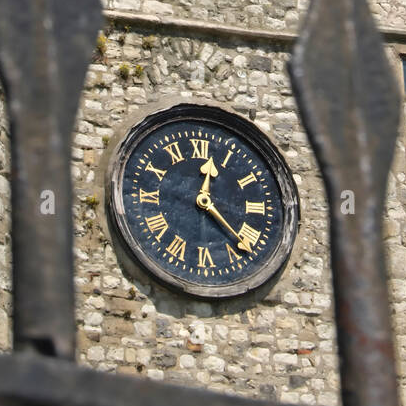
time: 12:22
